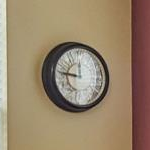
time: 11:46
